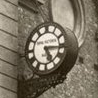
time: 5:15
